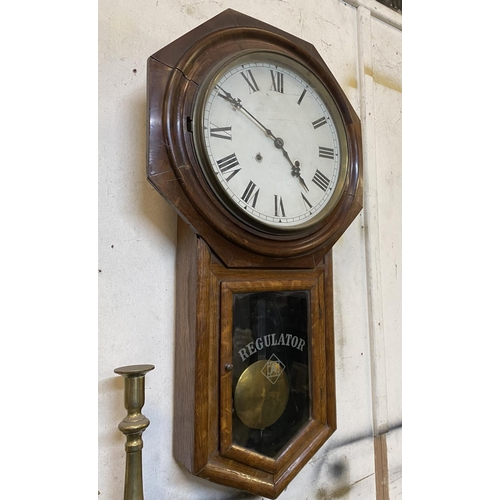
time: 4:50
